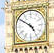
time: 4:50
